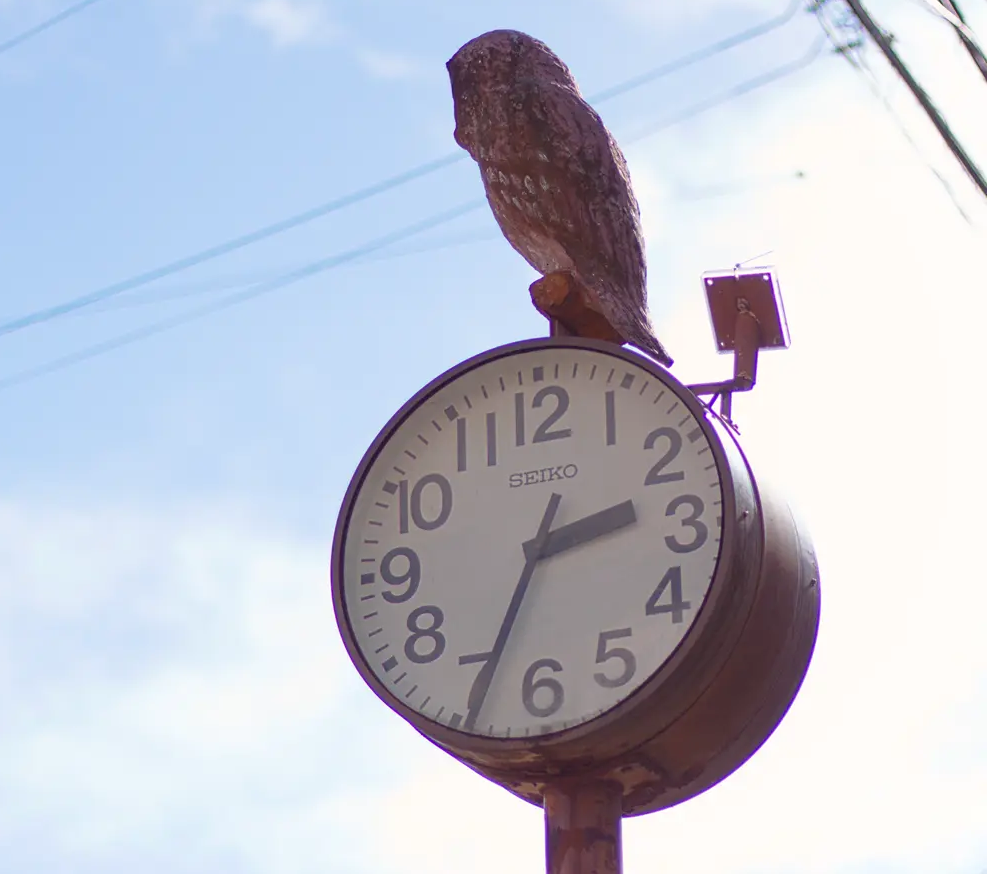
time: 2:34
